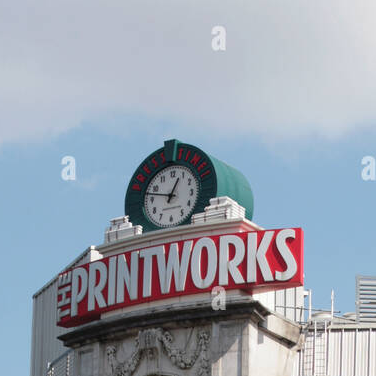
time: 12:47
